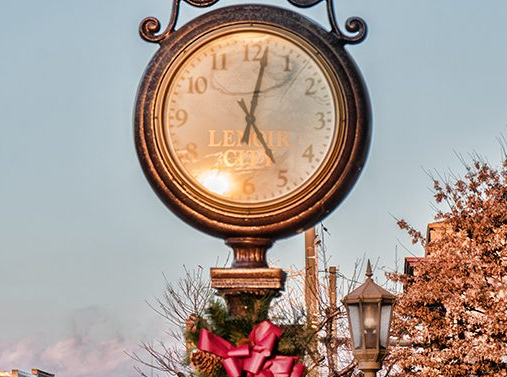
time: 5:02
